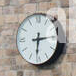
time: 6:14
